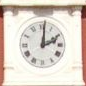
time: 2:01
